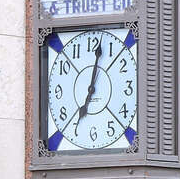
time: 7:02
